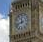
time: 11:42
